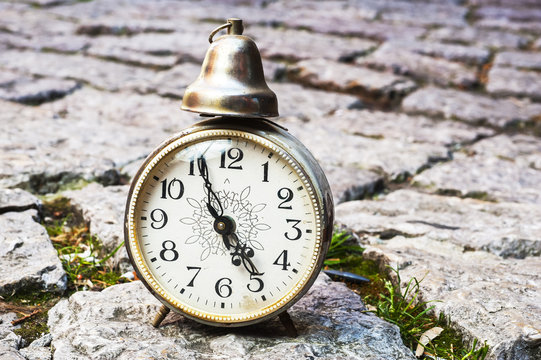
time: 4:56
